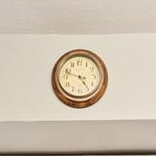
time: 4:47
